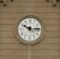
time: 10:14
